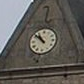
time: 10:52
